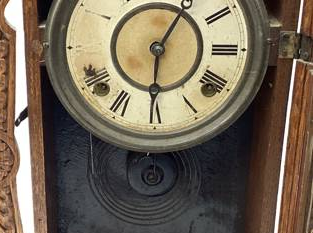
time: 6:05
